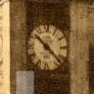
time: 10:22
